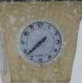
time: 7:37
